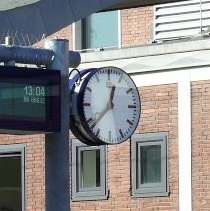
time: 12:37
